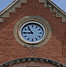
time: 10:45
